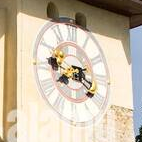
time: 3:40
